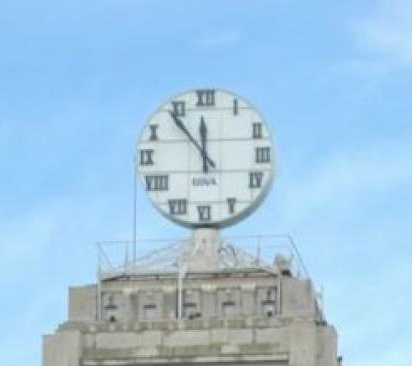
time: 11:53
